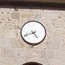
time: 4:41
